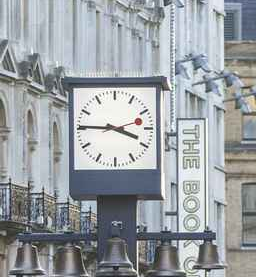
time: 3:45
